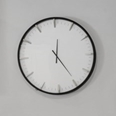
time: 12:24
